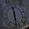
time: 11:28
